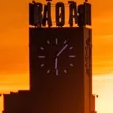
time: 6:07
